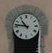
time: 10:46
